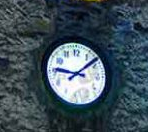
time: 9:08
